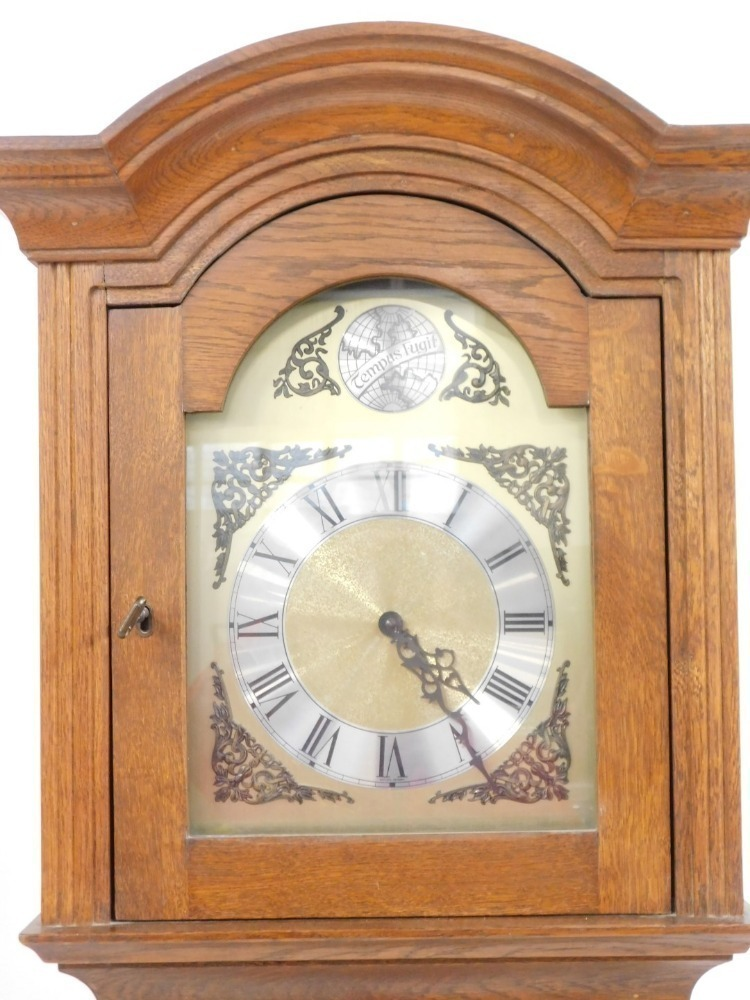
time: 4:23
